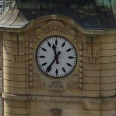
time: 11:35
